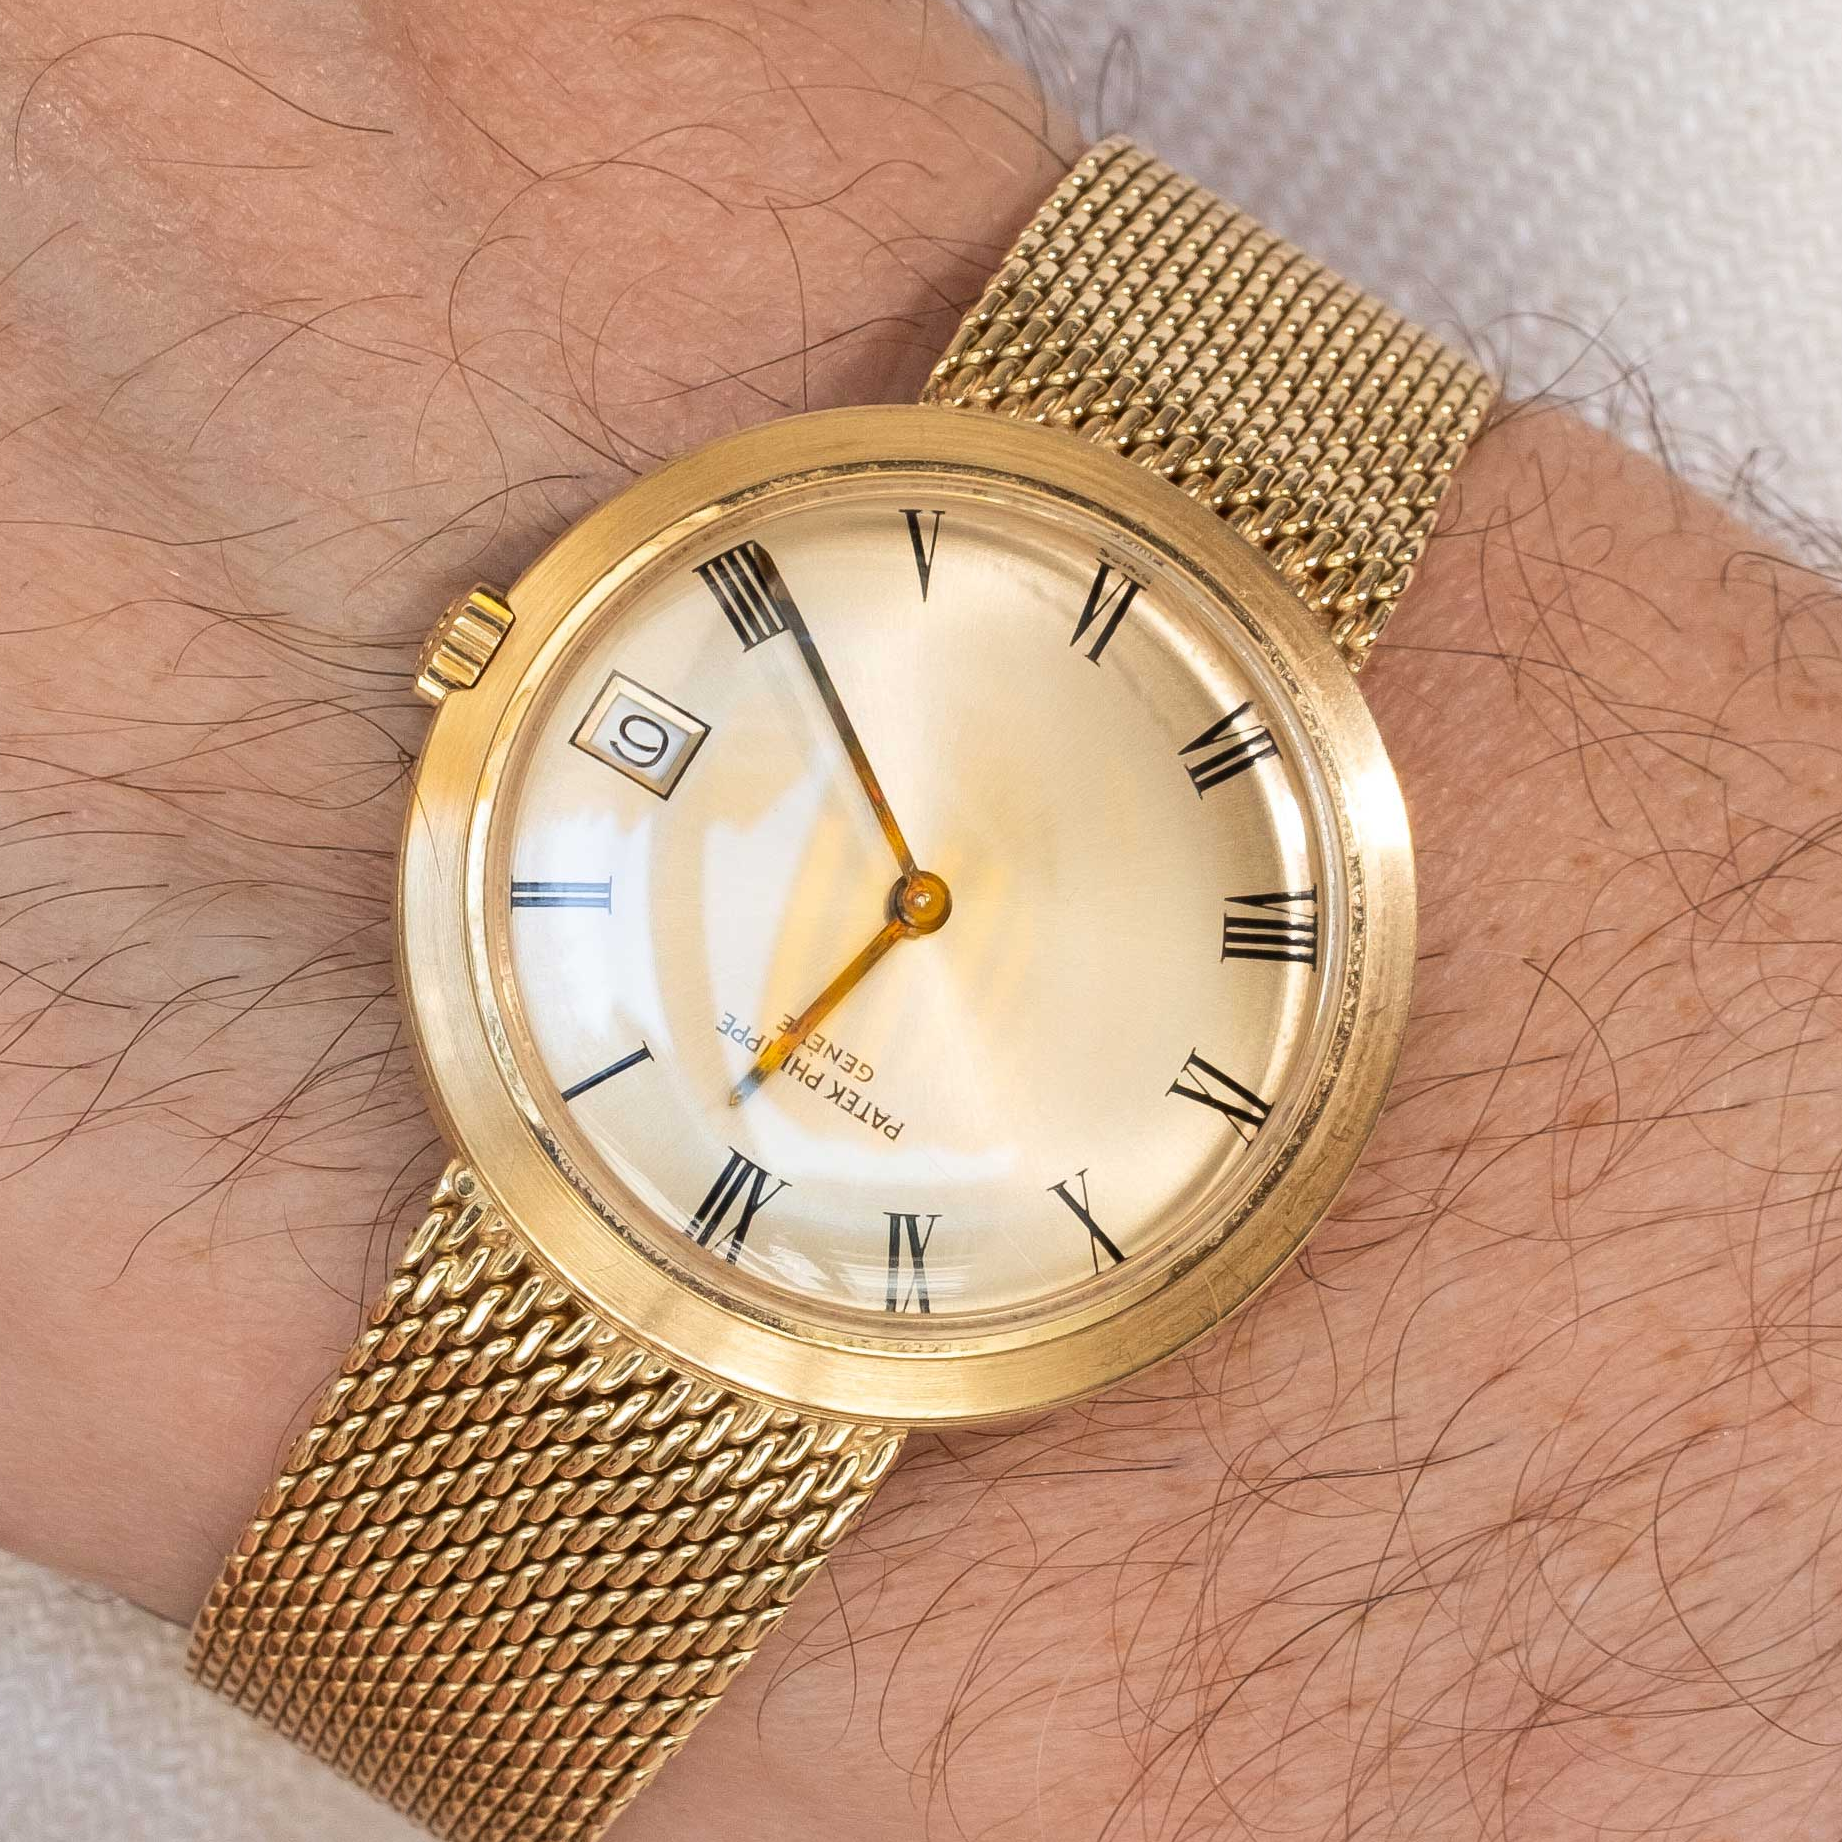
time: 7:55
